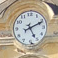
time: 5:11
